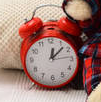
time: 12:07
